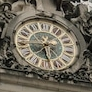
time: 6:28
